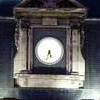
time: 5:33
